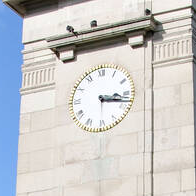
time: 3:17
